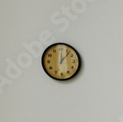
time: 12:07
